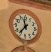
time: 11:36
